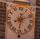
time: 8:12
